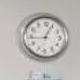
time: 12:44
